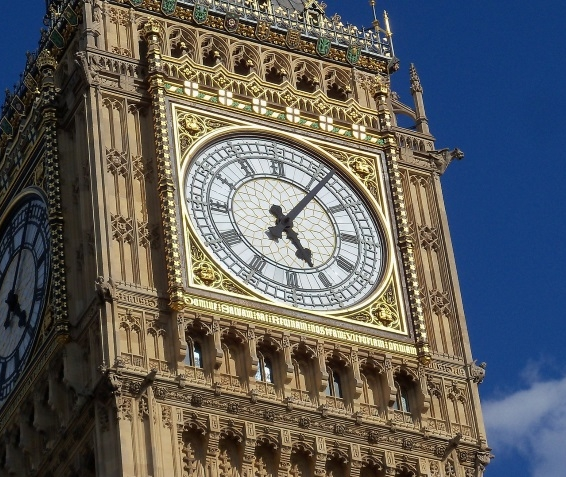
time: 5:06
